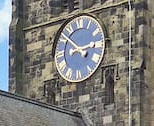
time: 2:51
